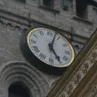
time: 5:03
